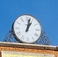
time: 1:02
